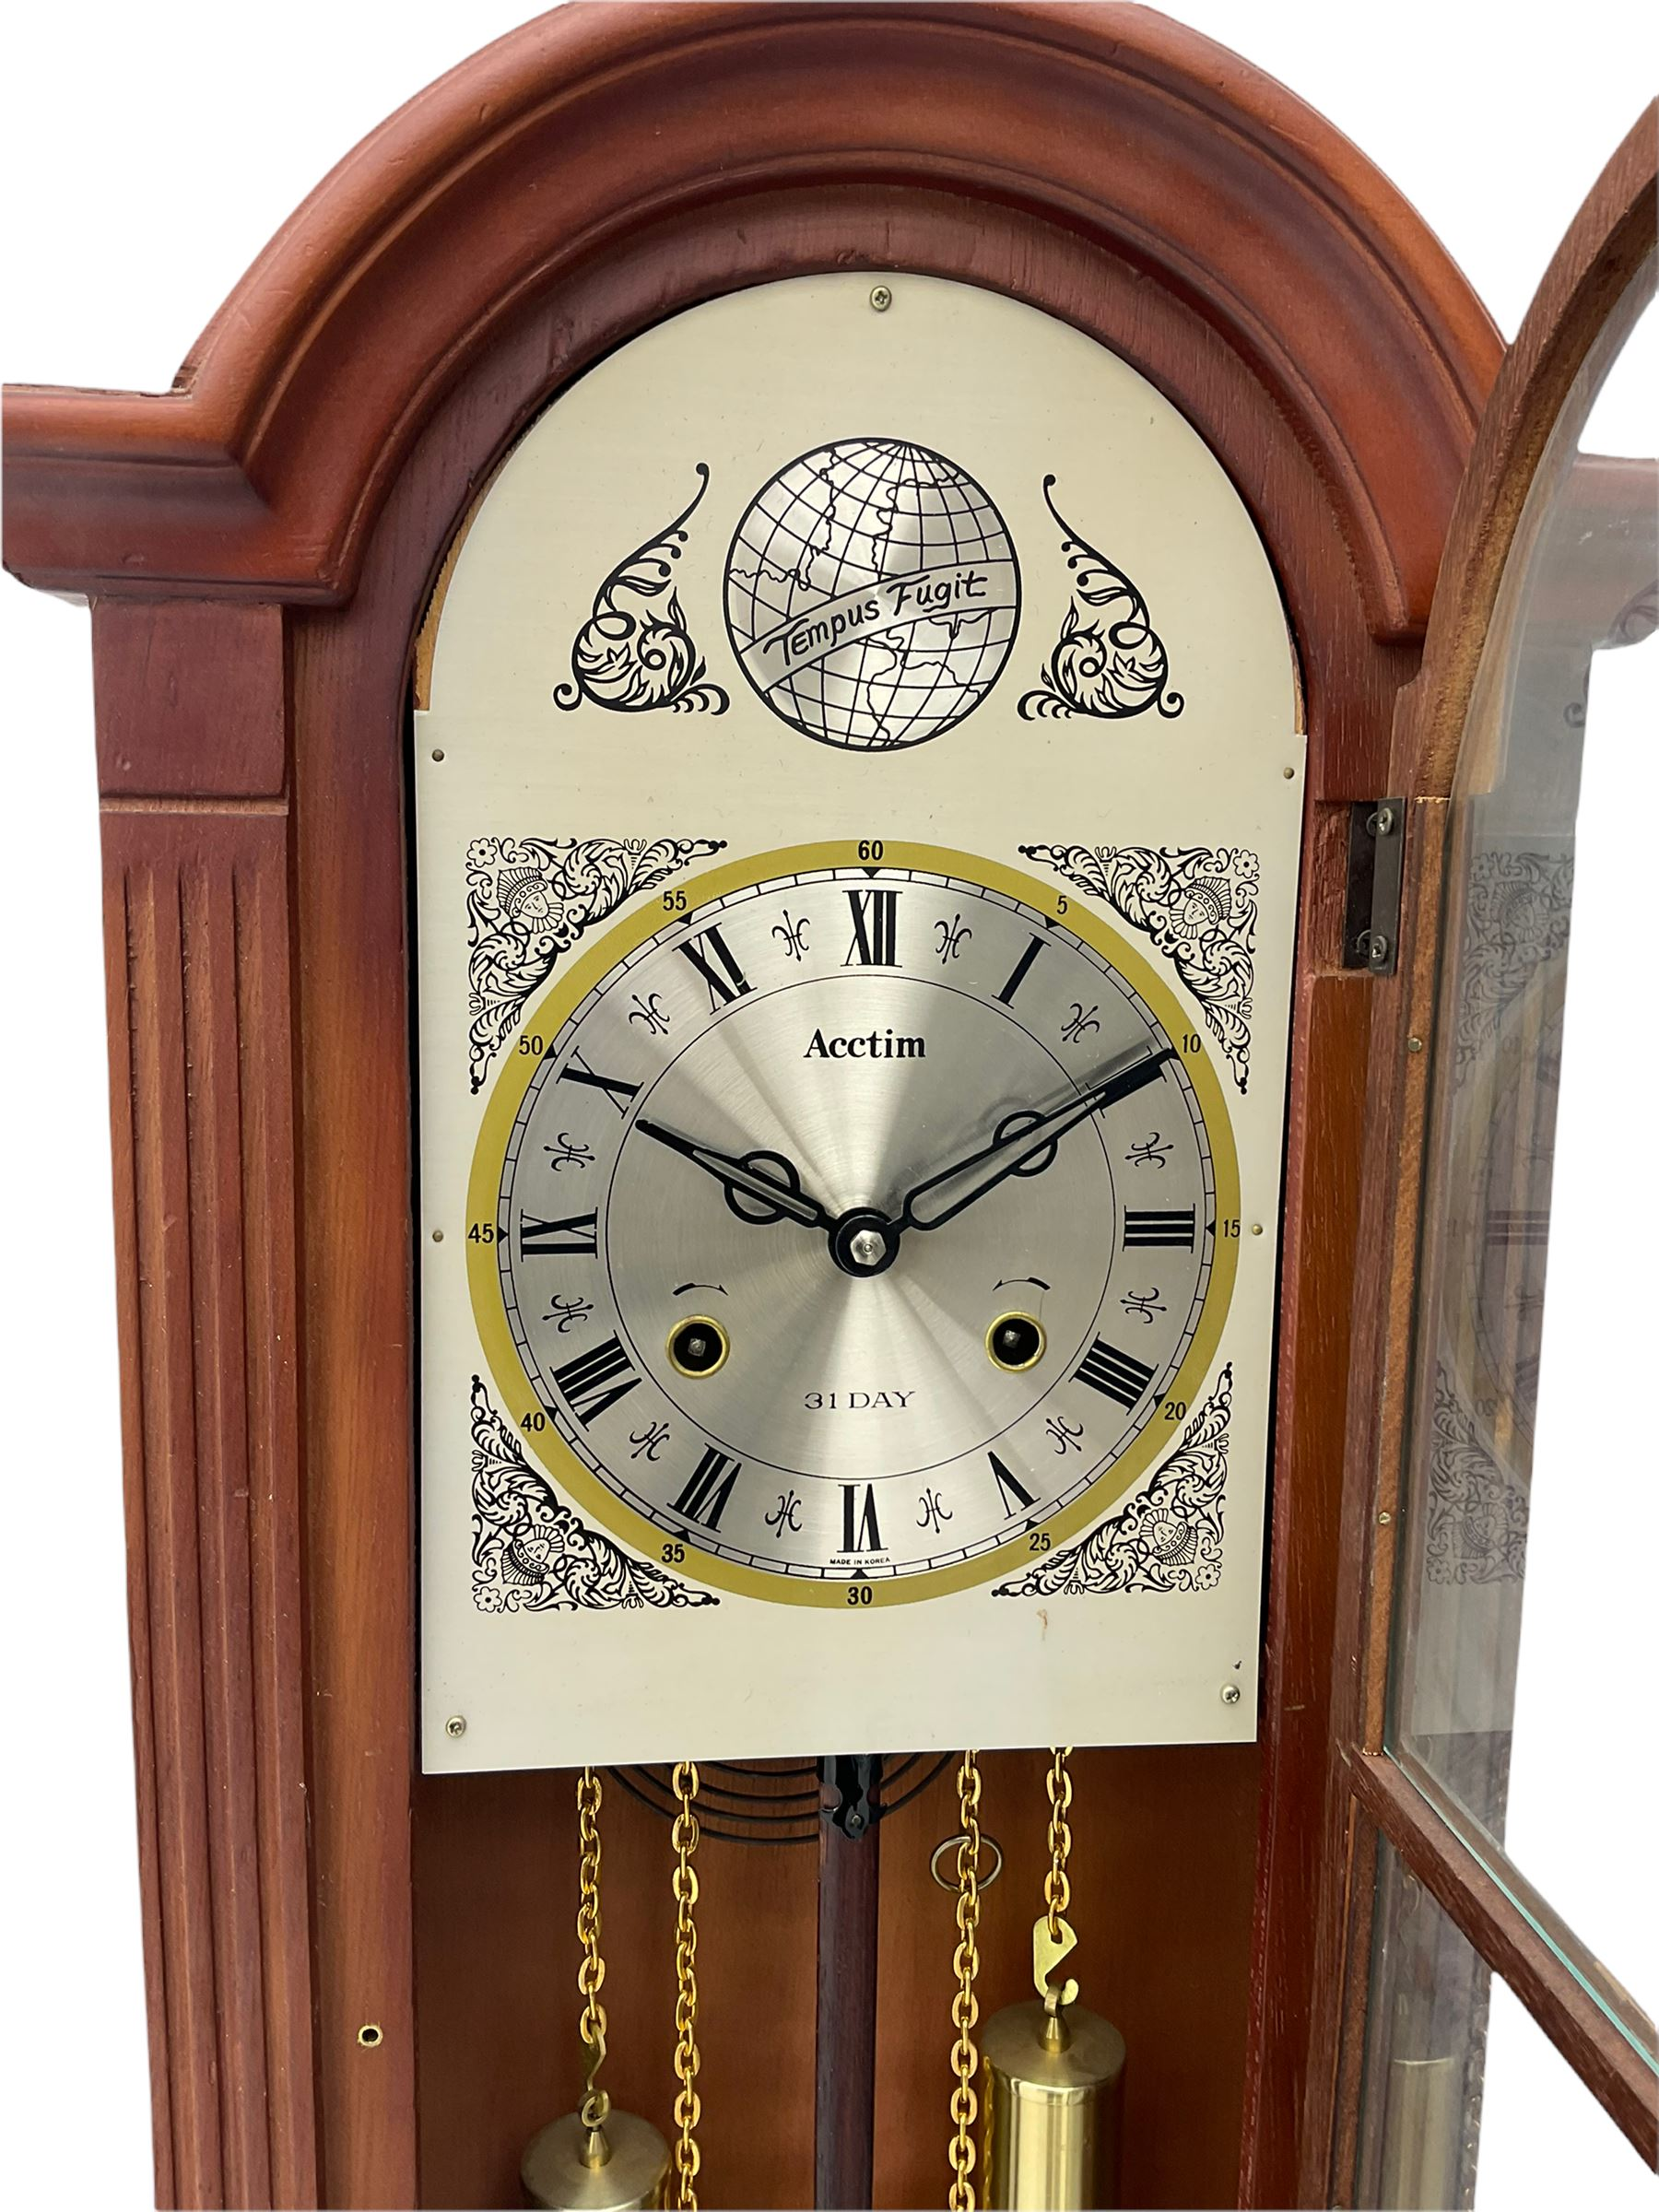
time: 1:48
